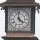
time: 3:58
